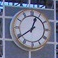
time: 12:39
